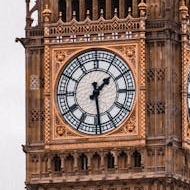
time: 1:28
